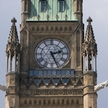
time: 2:26
